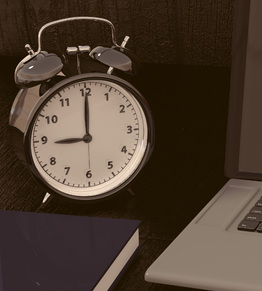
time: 9:00
